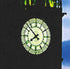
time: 7:52
